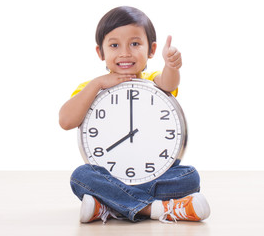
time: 7:59
